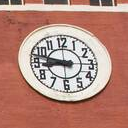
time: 8:47
